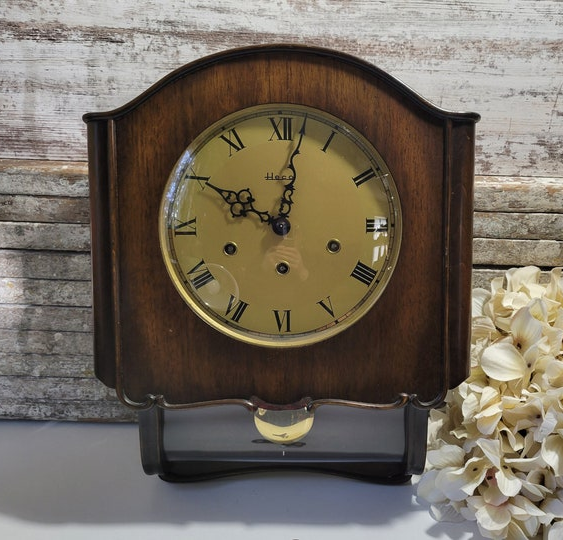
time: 10:01
